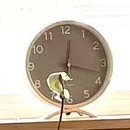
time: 12:17
